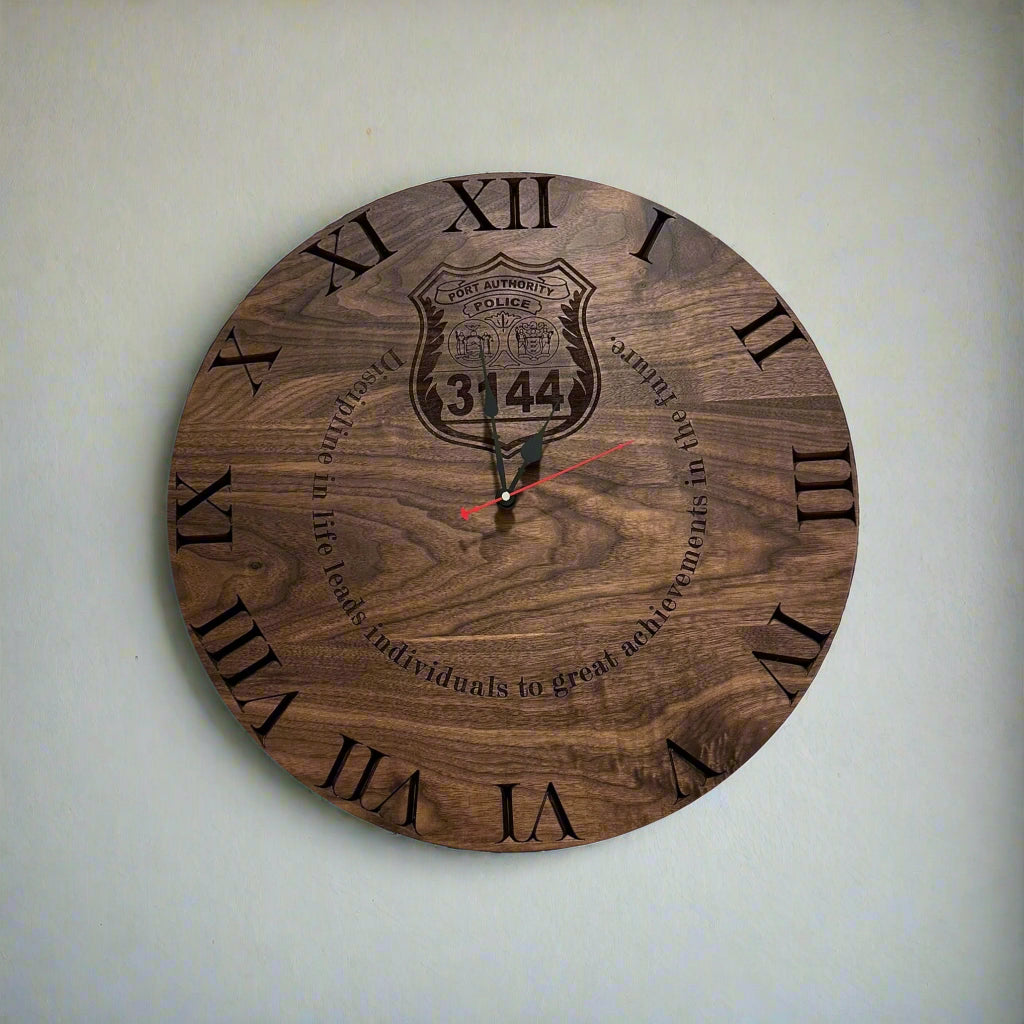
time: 12:57
